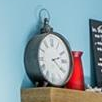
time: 2:21
